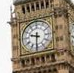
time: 9:31
